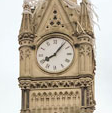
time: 8:06
